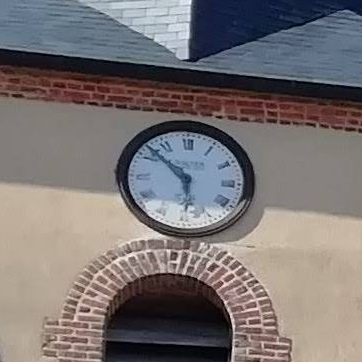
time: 5:52
